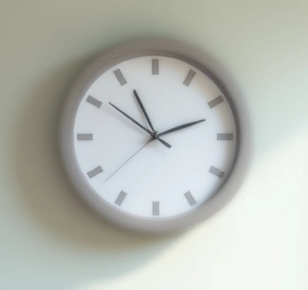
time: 11:11
